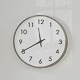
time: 11:40
